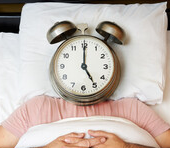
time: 5:00
